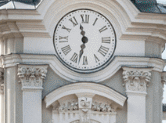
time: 11:32
